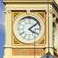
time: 4:08
